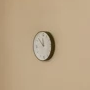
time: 11:52
